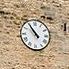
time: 10:54
